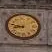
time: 8:47
